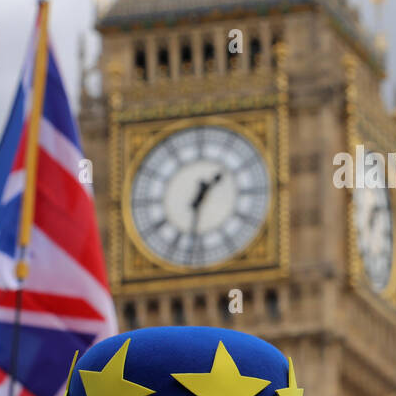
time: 1:32
